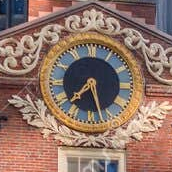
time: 7:28
